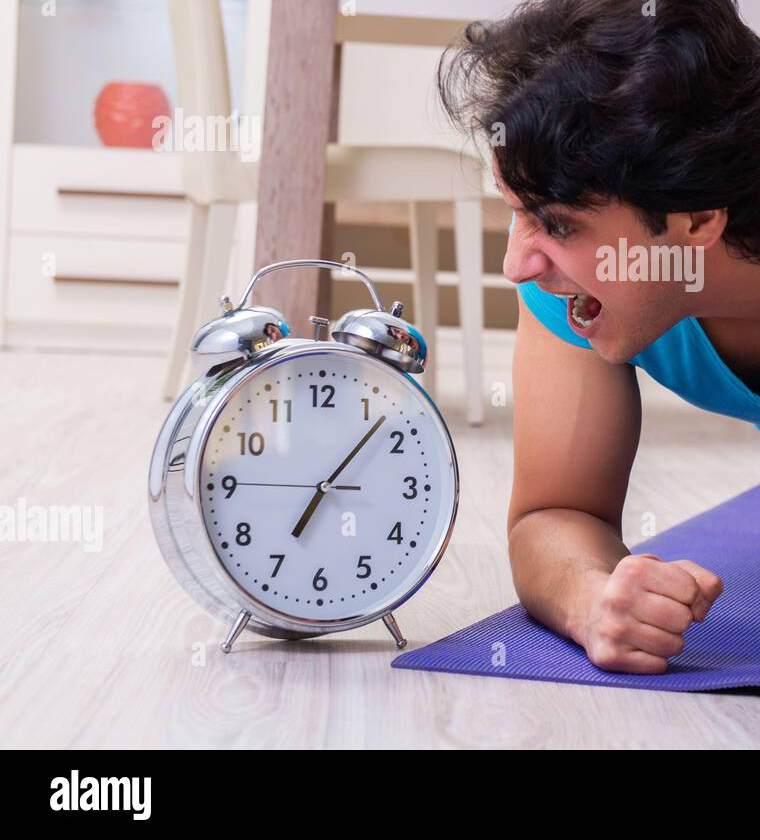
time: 7:07
